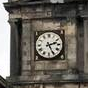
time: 2:25
